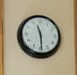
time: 11:29
